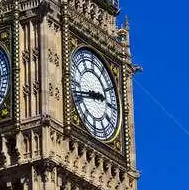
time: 2:42
